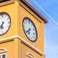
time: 6:38
